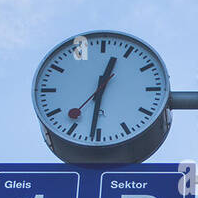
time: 12:31
